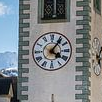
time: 4:06
